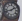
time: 1:42
